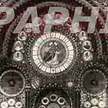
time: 7:37
